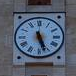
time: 5:26
